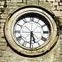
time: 5:31
